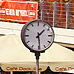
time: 1:29
